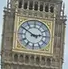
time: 2:50
